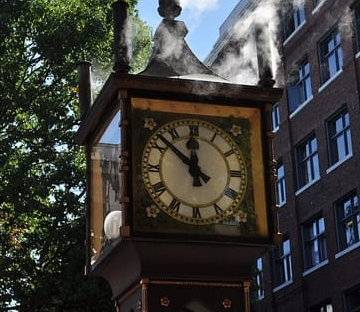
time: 11:52
